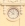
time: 7:52
